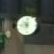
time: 9:01
